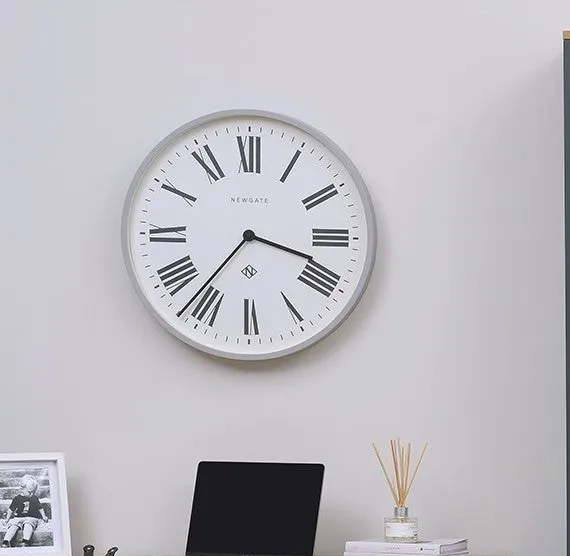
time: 3:36
